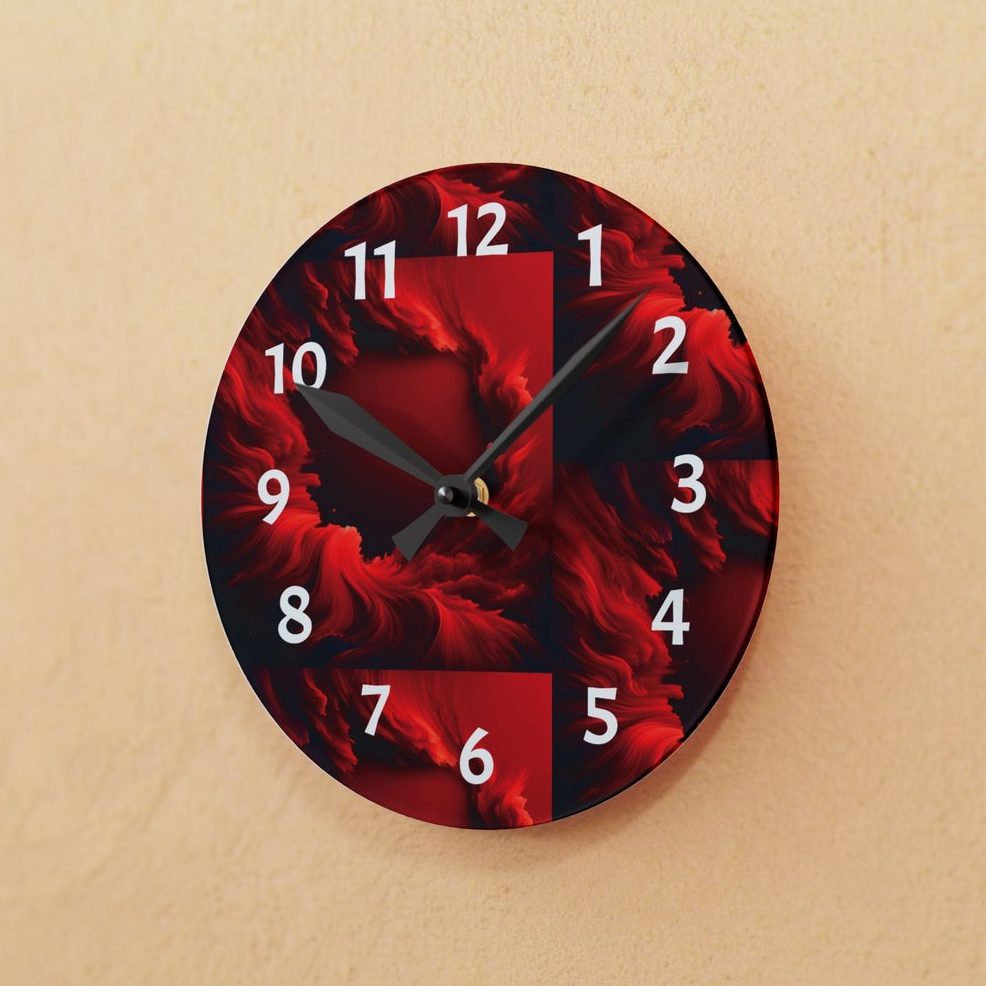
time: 7:49
